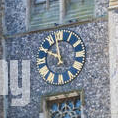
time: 11:49
